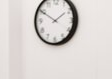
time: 1:49
